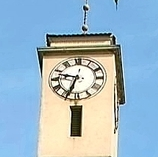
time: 9:33
